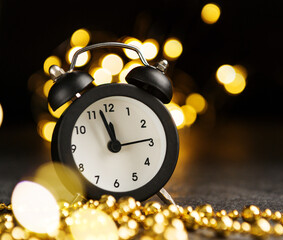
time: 11:57
